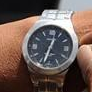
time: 12:32
